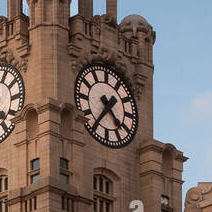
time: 4:35
